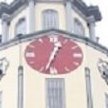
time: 12:32
